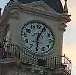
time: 6:04
